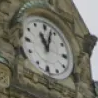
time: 11:02
